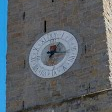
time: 1:16
